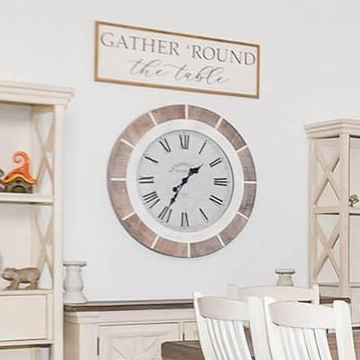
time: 1:35
